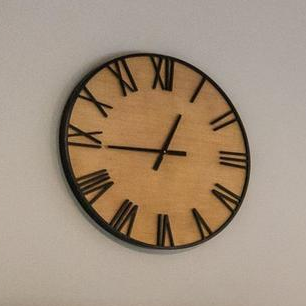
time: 12:44
